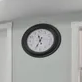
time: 11:34
